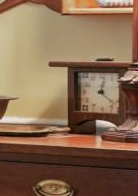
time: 12:21
